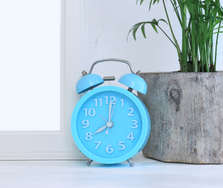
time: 8:00
